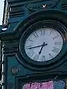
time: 6:43
